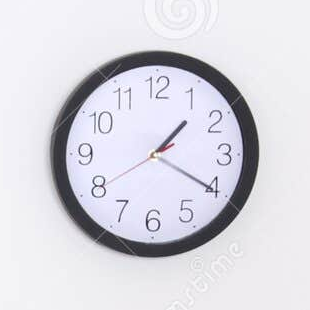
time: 1:20
